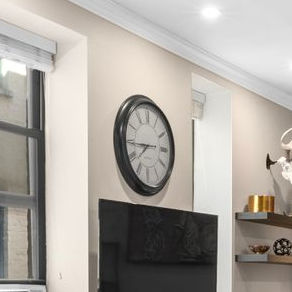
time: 7:44
